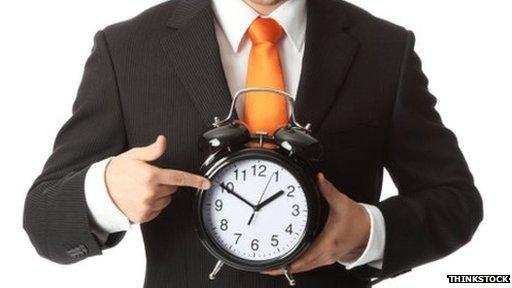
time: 1:50
